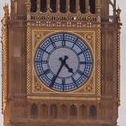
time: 4:34
